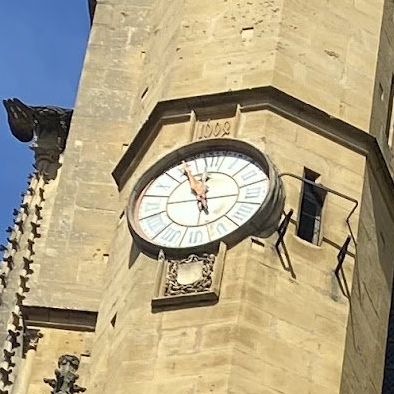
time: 11:55
